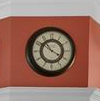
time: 3:52
